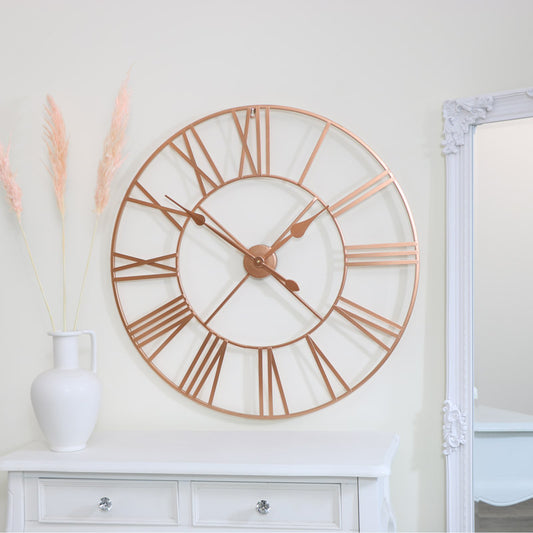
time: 1:51
